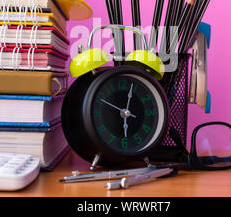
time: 6:03
